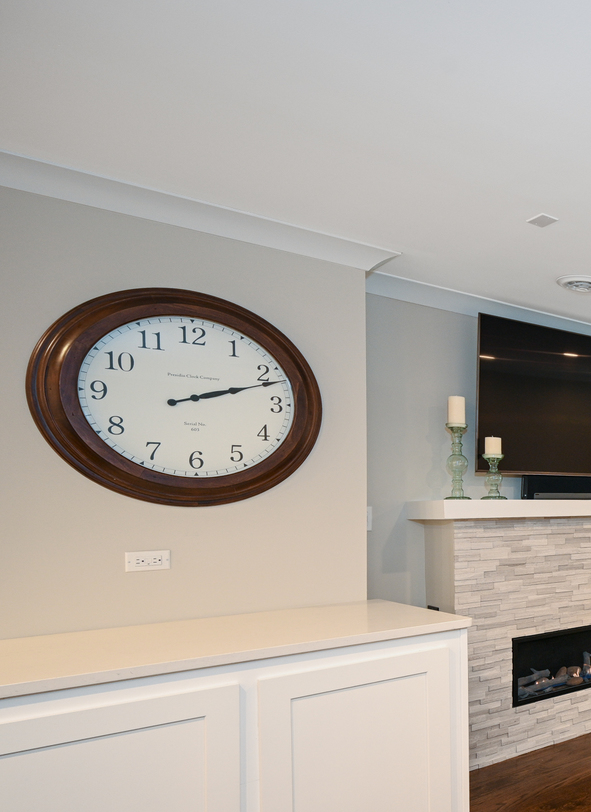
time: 2:11
